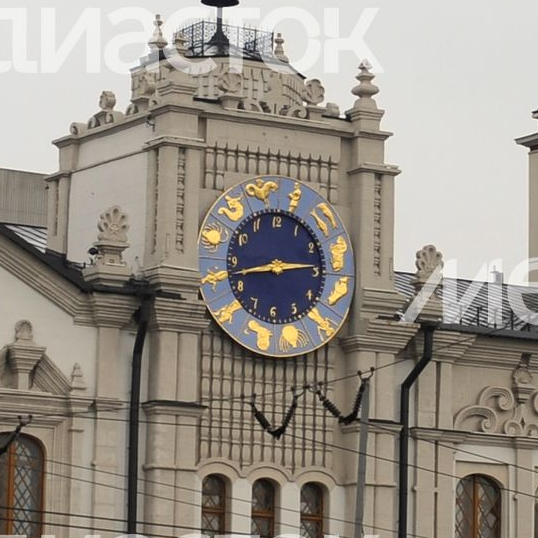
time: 2:42
